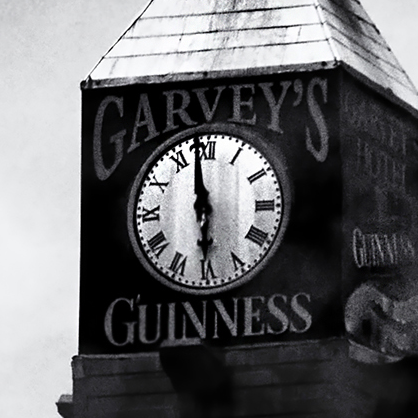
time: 5:58
